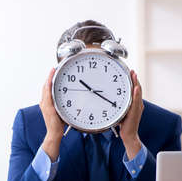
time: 10:19
